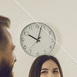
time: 10:02
